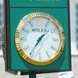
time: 1:35
